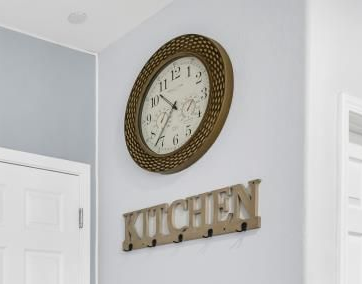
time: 10:36
